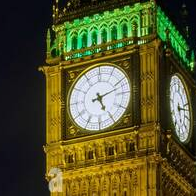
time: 5:11
